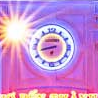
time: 8:43
